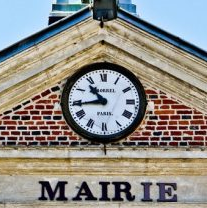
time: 10:43
